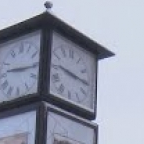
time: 9:15
